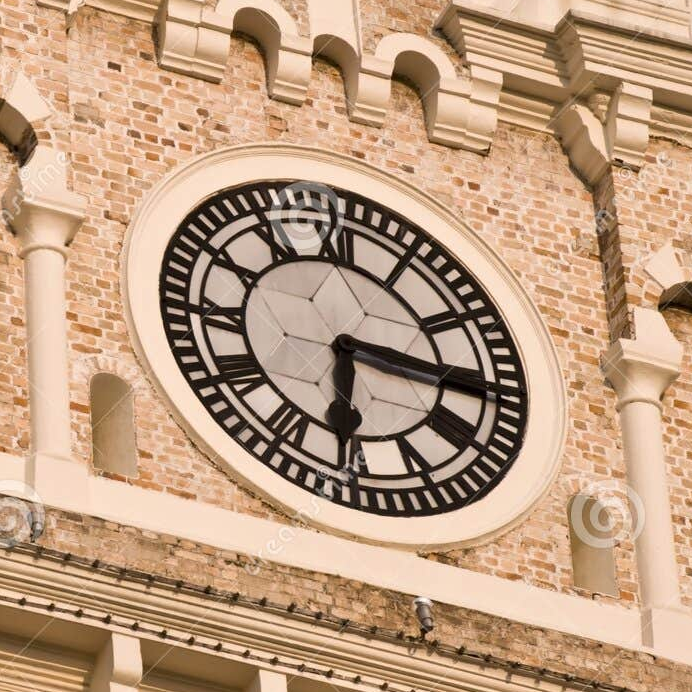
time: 6:15
